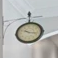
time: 10:17
